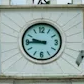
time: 9:44
